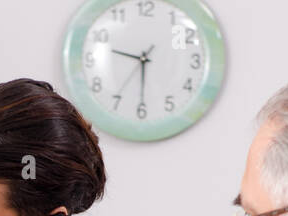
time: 9:30
